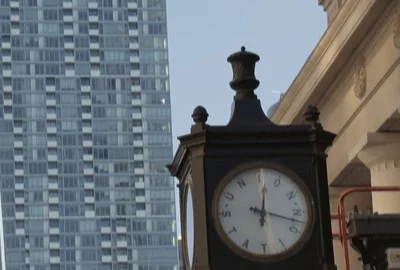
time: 12:18
